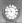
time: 8:53
